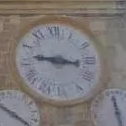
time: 9:16
